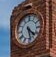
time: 4:28
